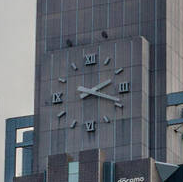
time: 2:18
